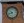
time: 10:42
